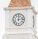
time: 12:13
